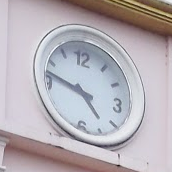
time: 4:47
